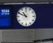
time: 10:49
